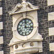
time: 12:16
